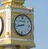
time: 8:42
